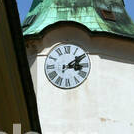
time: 3:09
